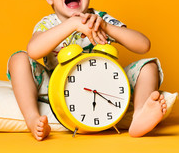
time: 6:20
